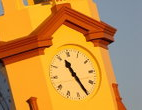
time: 11:25
